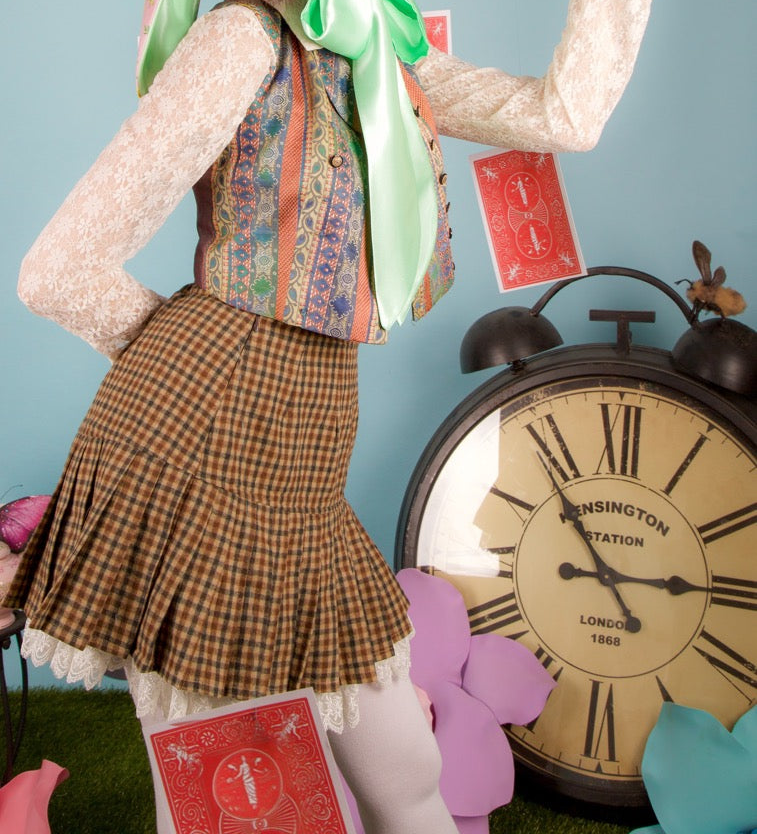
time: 2:53
